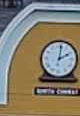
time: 2:01
